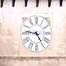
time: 4:46
